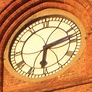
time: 6:12
